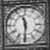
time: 11:30
